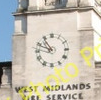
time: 10:48
